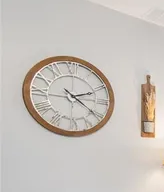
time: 2:21
